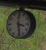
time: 3:29
